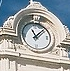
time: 11:07
